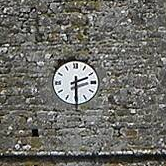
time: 2:29
